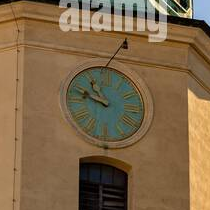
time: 10:48
